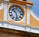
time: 10:28
